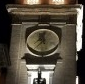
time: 11:36
